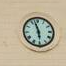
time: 5:57
